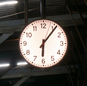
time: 6:06
